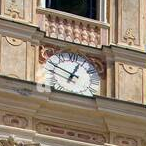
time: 12:49
